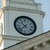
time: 10:37
